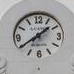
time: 1:39
